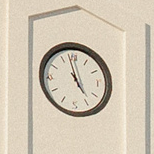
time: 4:57
